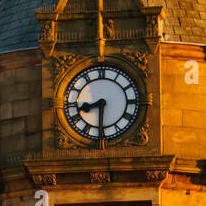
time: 8:30
